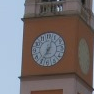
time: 7:02
